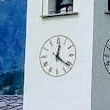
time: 12:21
